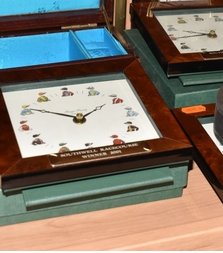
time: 1:50
